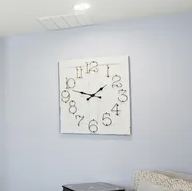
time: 1:47
